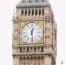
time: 12:28
